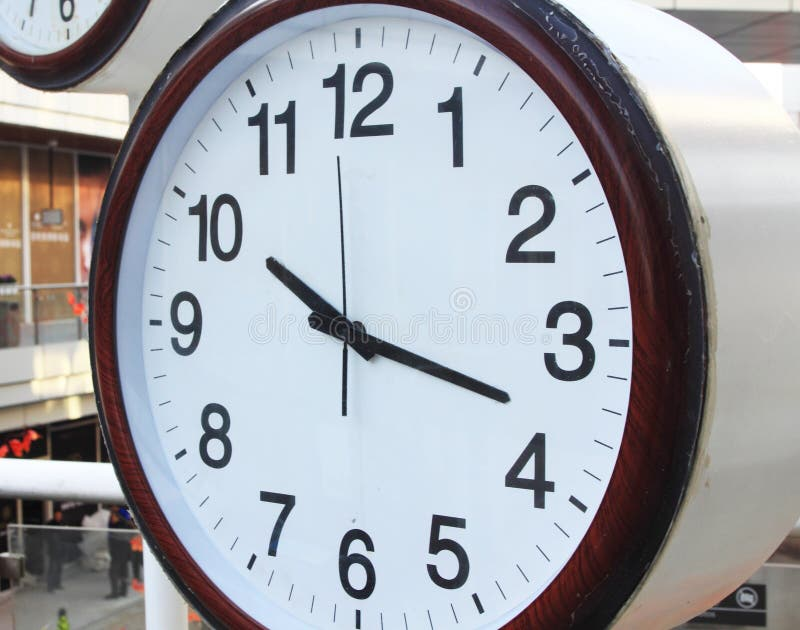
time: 10:17
